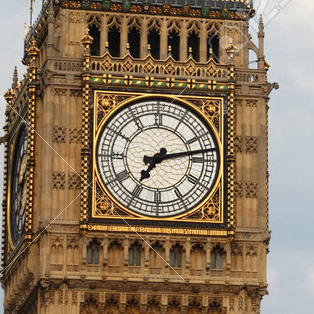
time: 7:13
